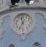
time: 11:35
